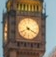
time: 4:20
